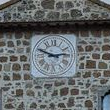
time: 2:48
